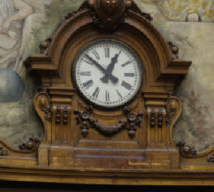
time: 12:51
